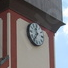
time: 11:35
